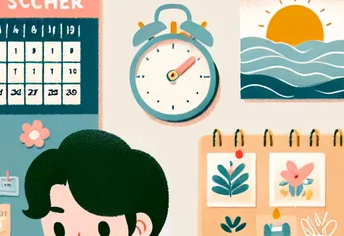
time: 2:08
